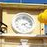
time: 2:21
